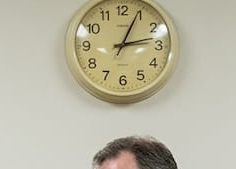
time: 3:04
